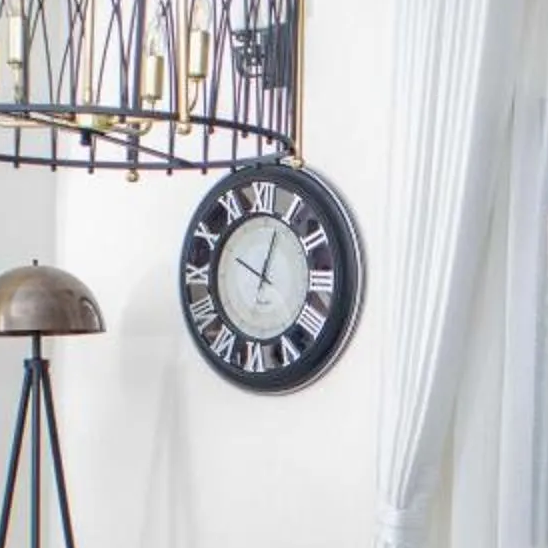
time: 10:03
